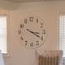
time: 3:20
